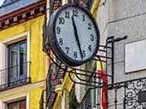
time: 11:26
